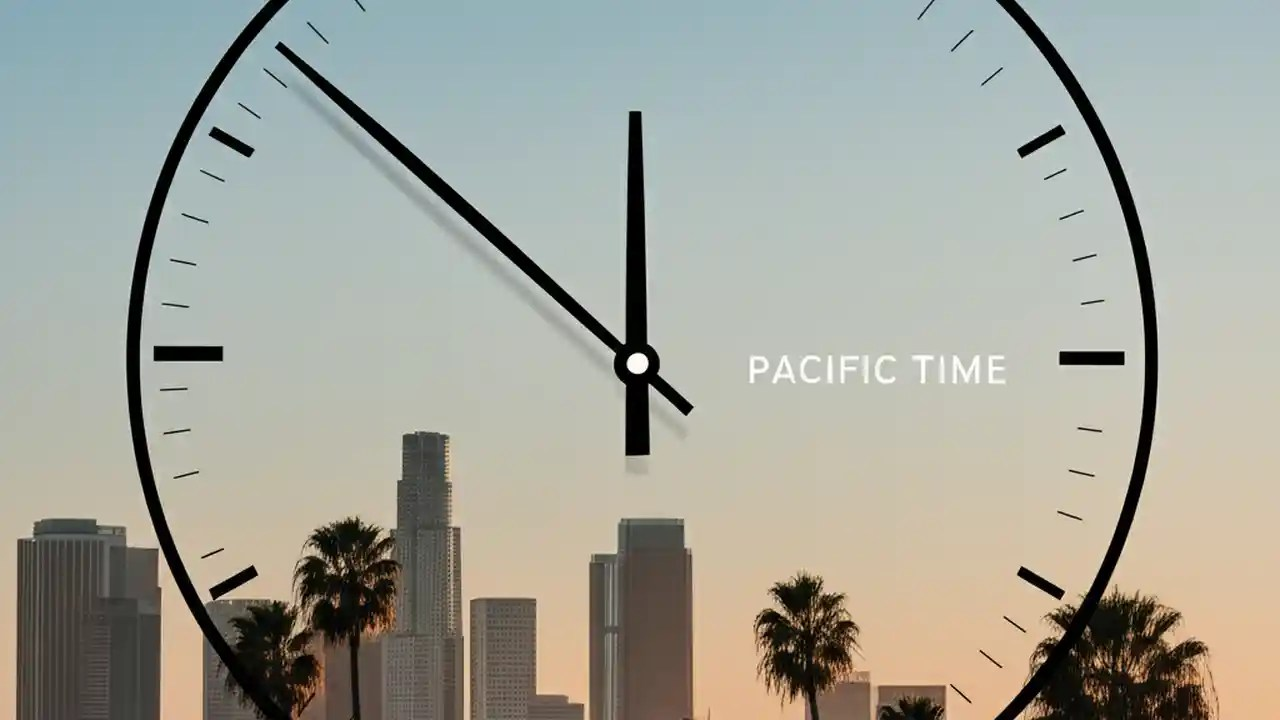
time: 11:52
